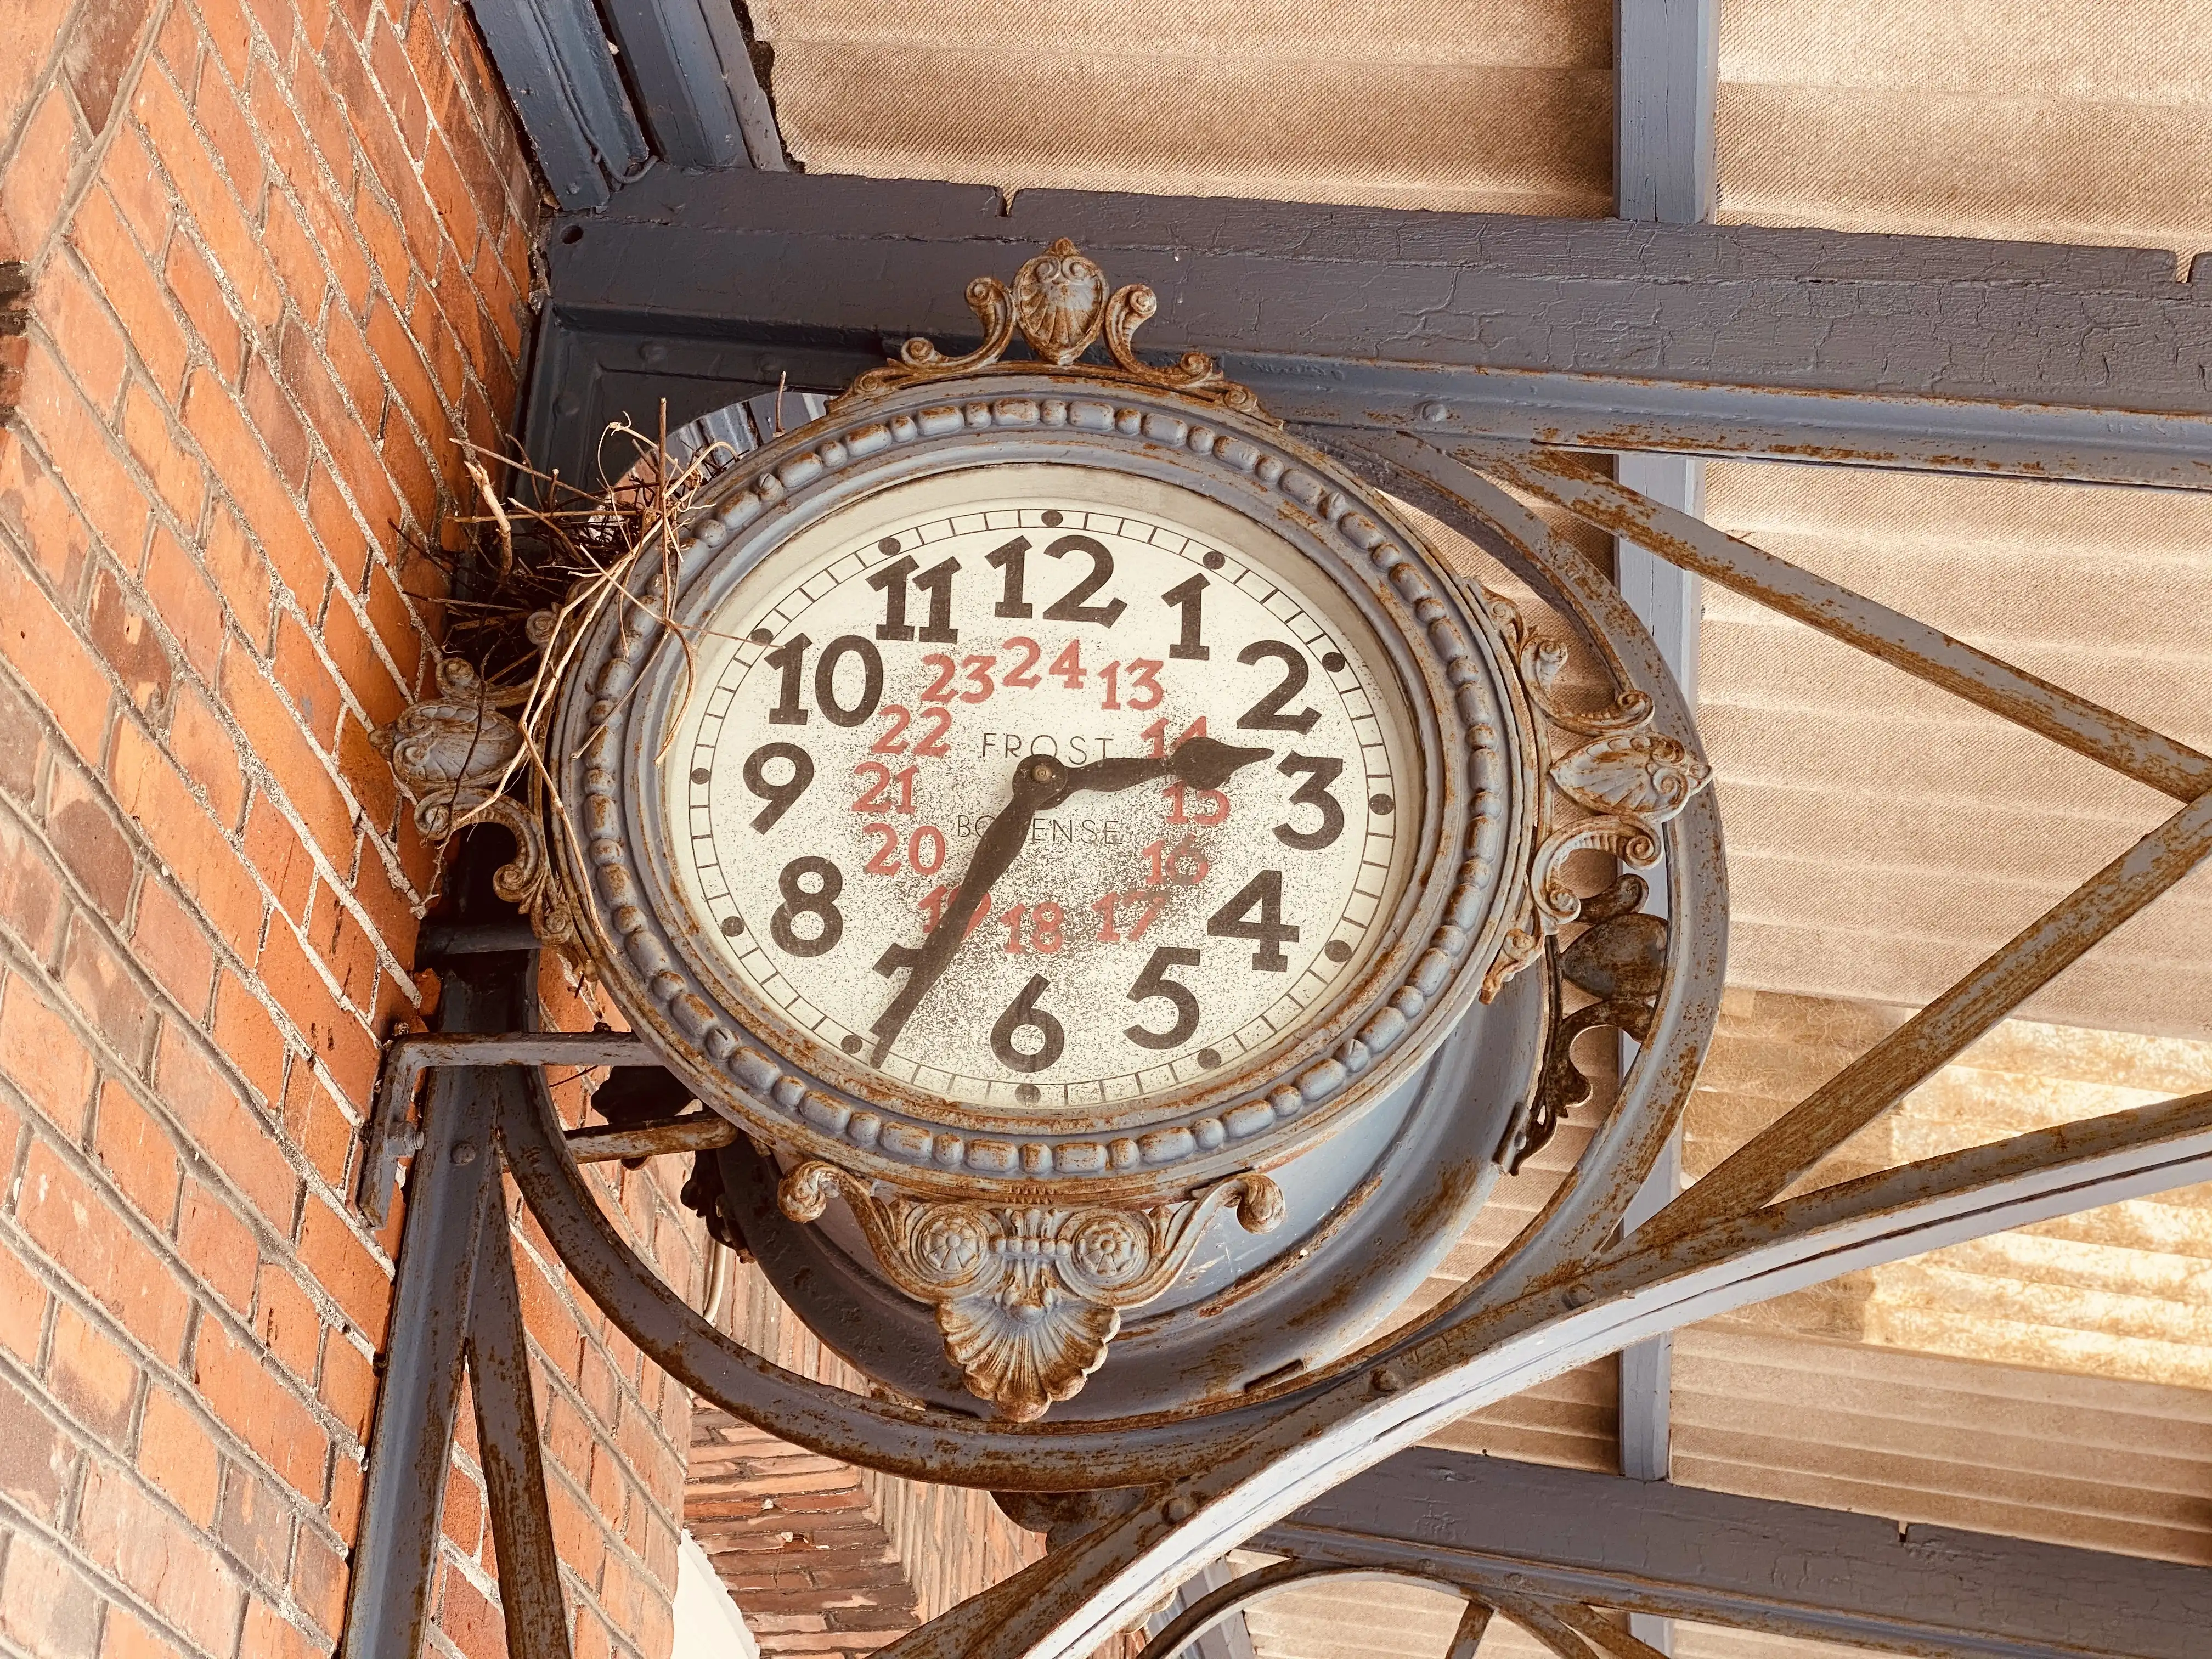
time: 2:34
